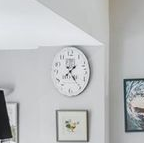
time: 1:24
